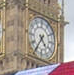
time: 4:35
